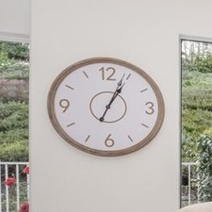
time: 1:04
